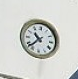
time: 10:37
